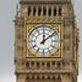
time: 12:08
